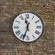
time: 11:33
